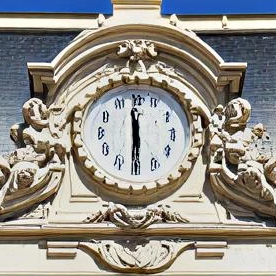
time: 5:59
